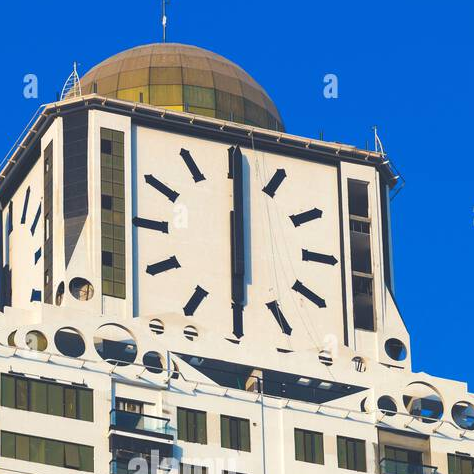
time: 6:00
